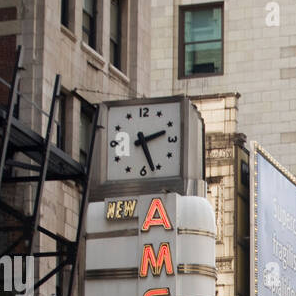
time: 2:26
